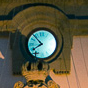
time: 7:53
